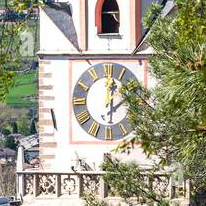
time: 2:01
